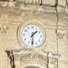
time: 1:30
